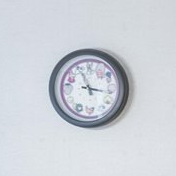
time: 11:16
